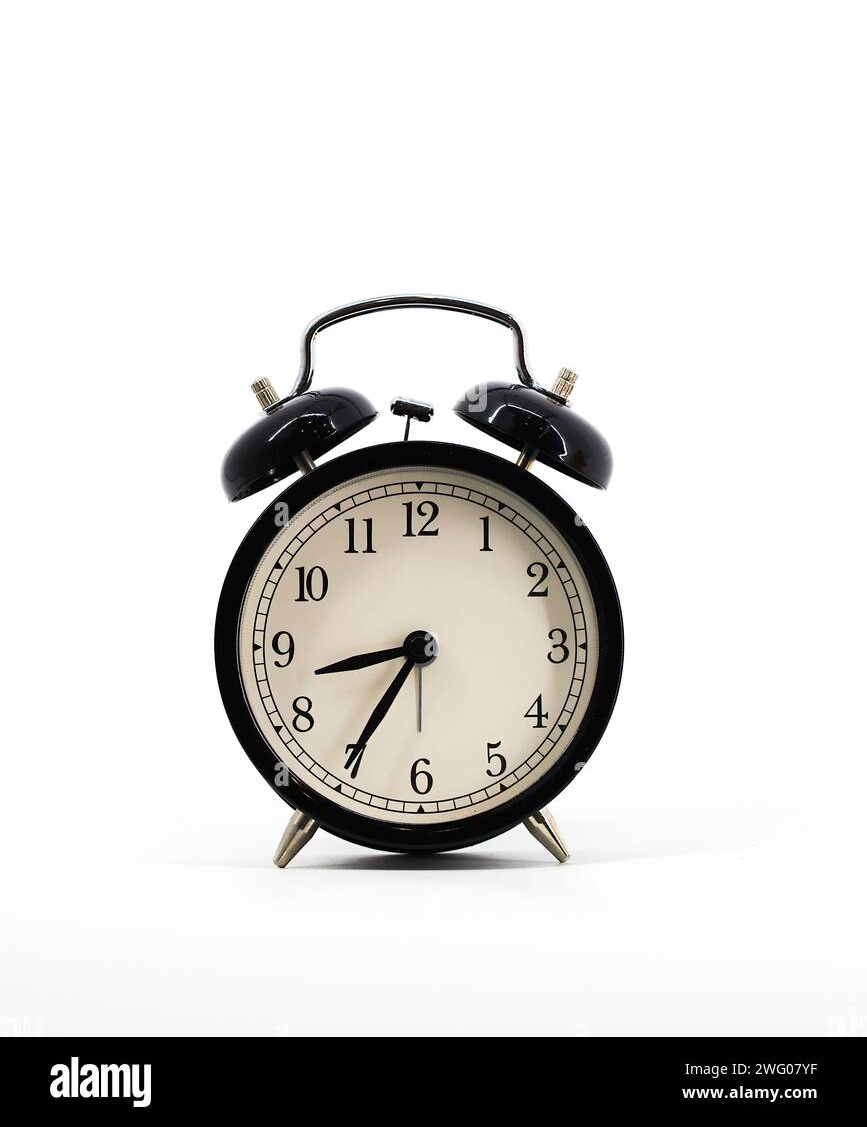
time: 8:35
